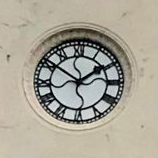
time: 1:50
